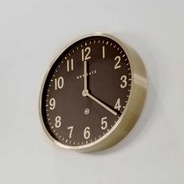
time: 12:21
